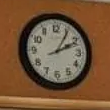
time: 2:05
